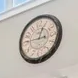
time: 12:45
